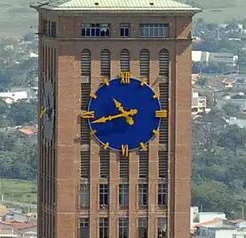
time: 10:42
